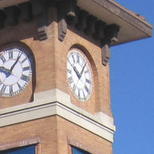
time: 10:06
